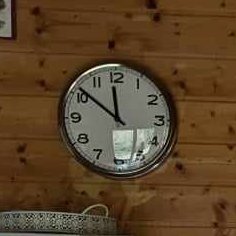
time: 11:51
